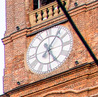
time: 5:06
